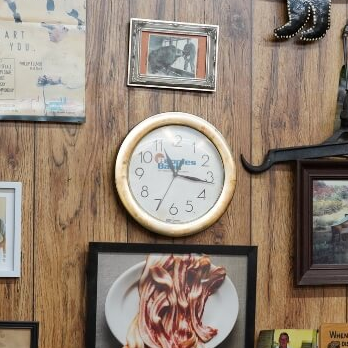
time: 11:16
